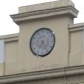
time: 7:24
